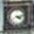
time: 4:12
